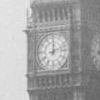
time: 12:12
